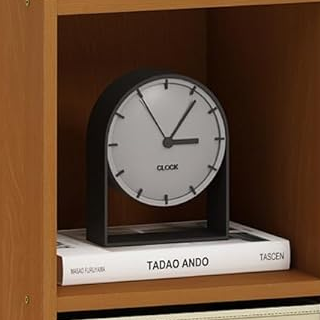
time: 3:06
